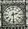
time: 2:29
